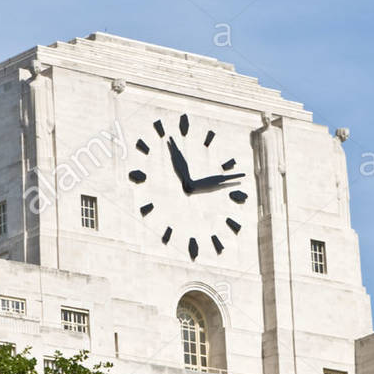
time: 11:12
